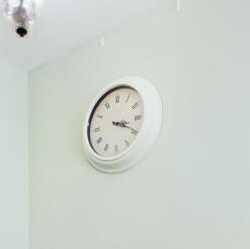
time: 3:19
